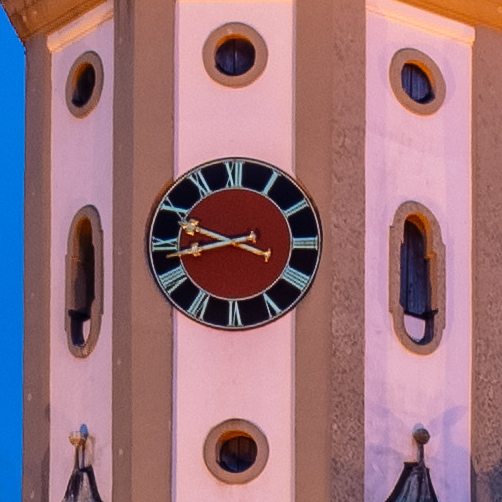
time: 8:48
